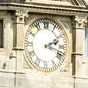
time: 2:18
